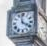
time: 3:58
